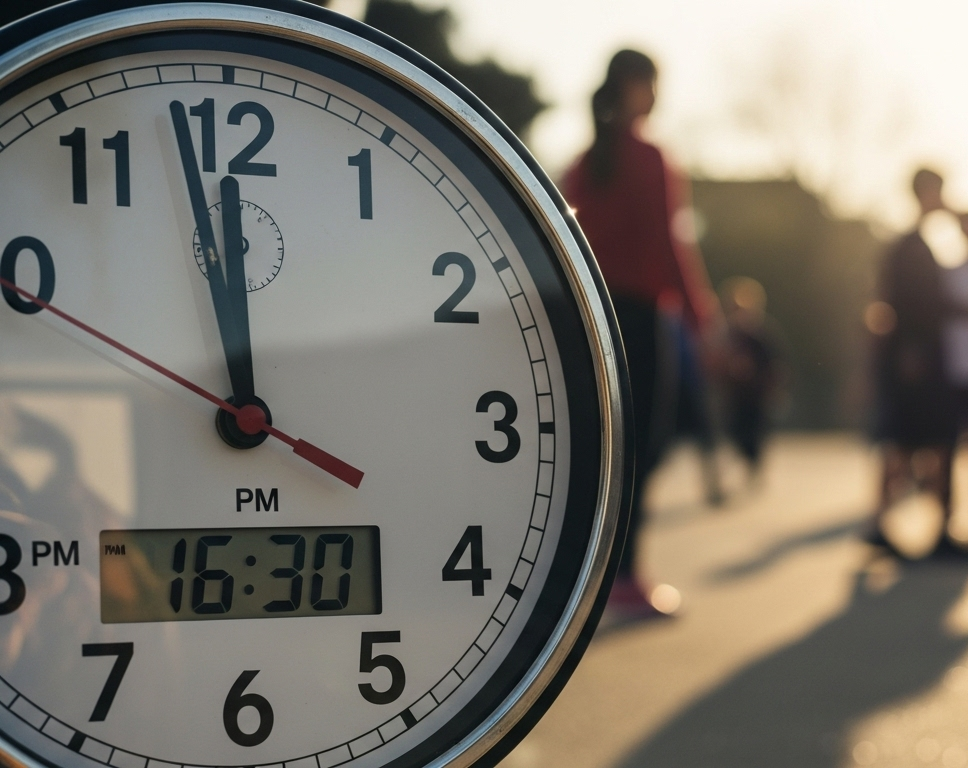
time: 11:58
